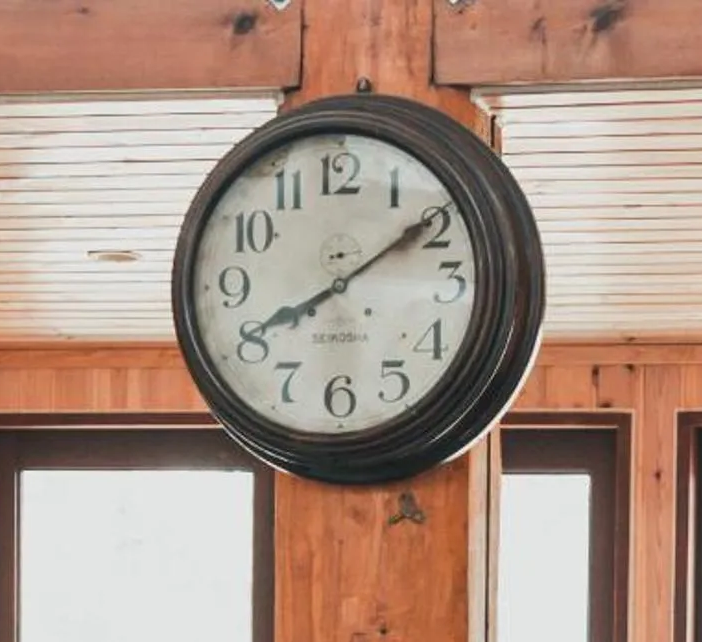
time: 8:09
